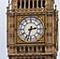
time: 2:32
